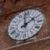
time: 1:59
